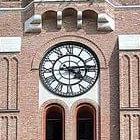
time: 4:13
